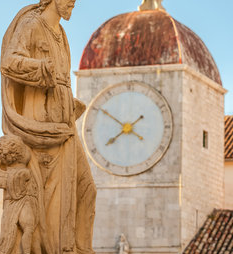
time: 7:50
